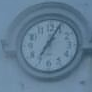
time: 7:04
